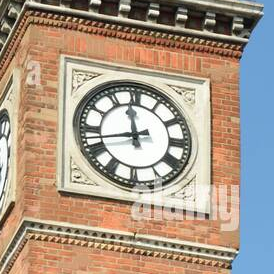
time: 11:42
